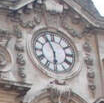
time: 5:55
